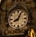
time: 8:04
